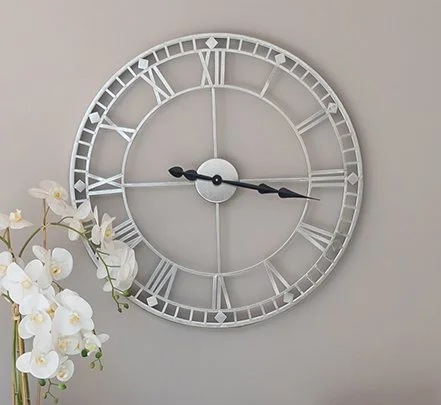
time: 3:16
